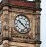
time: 10:21
